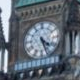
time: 4:26
